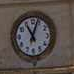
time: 11:03
